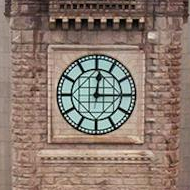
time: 12:14
